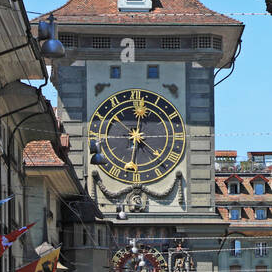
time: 12:22
